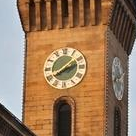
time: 1:39
